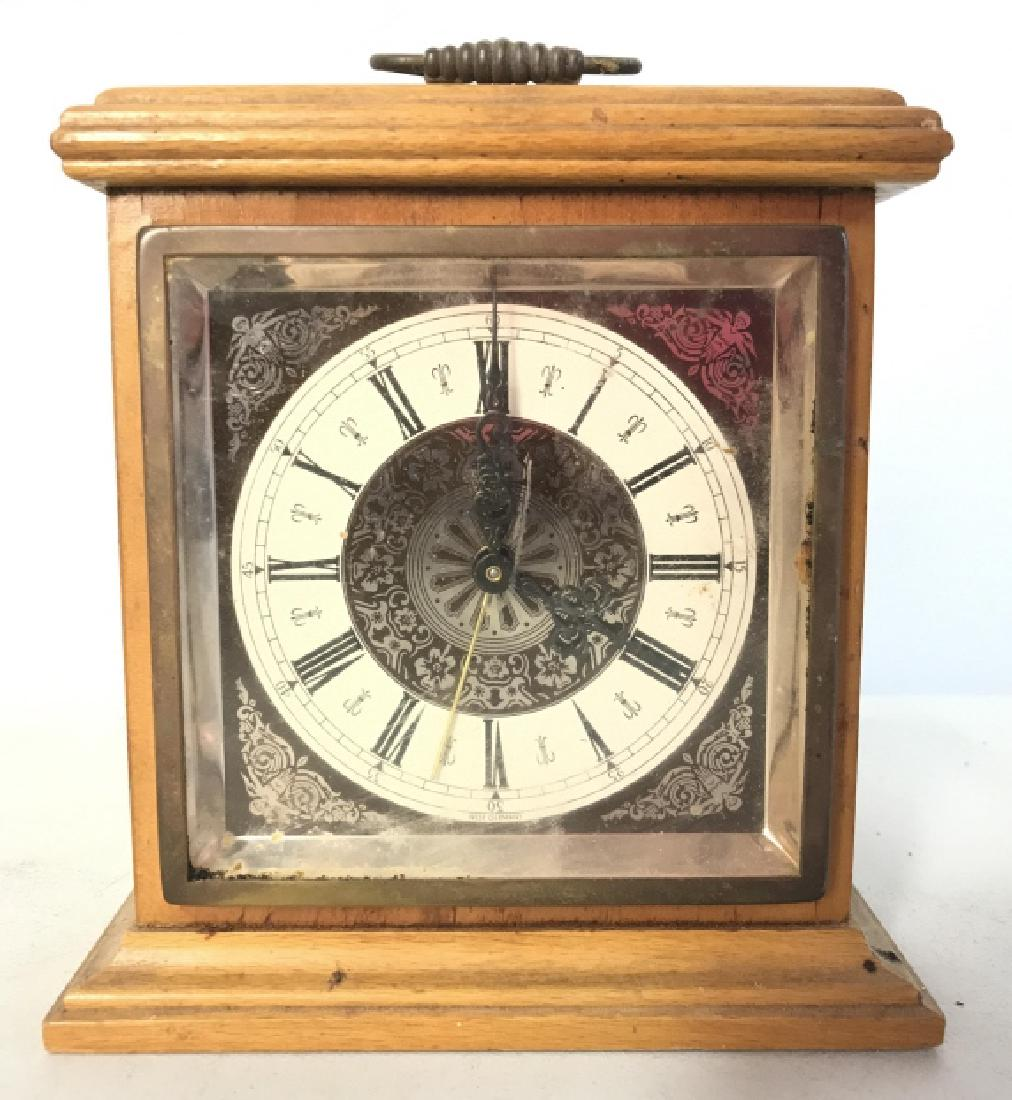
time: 12:19
